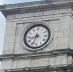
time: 8:33
